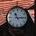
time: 11:14
